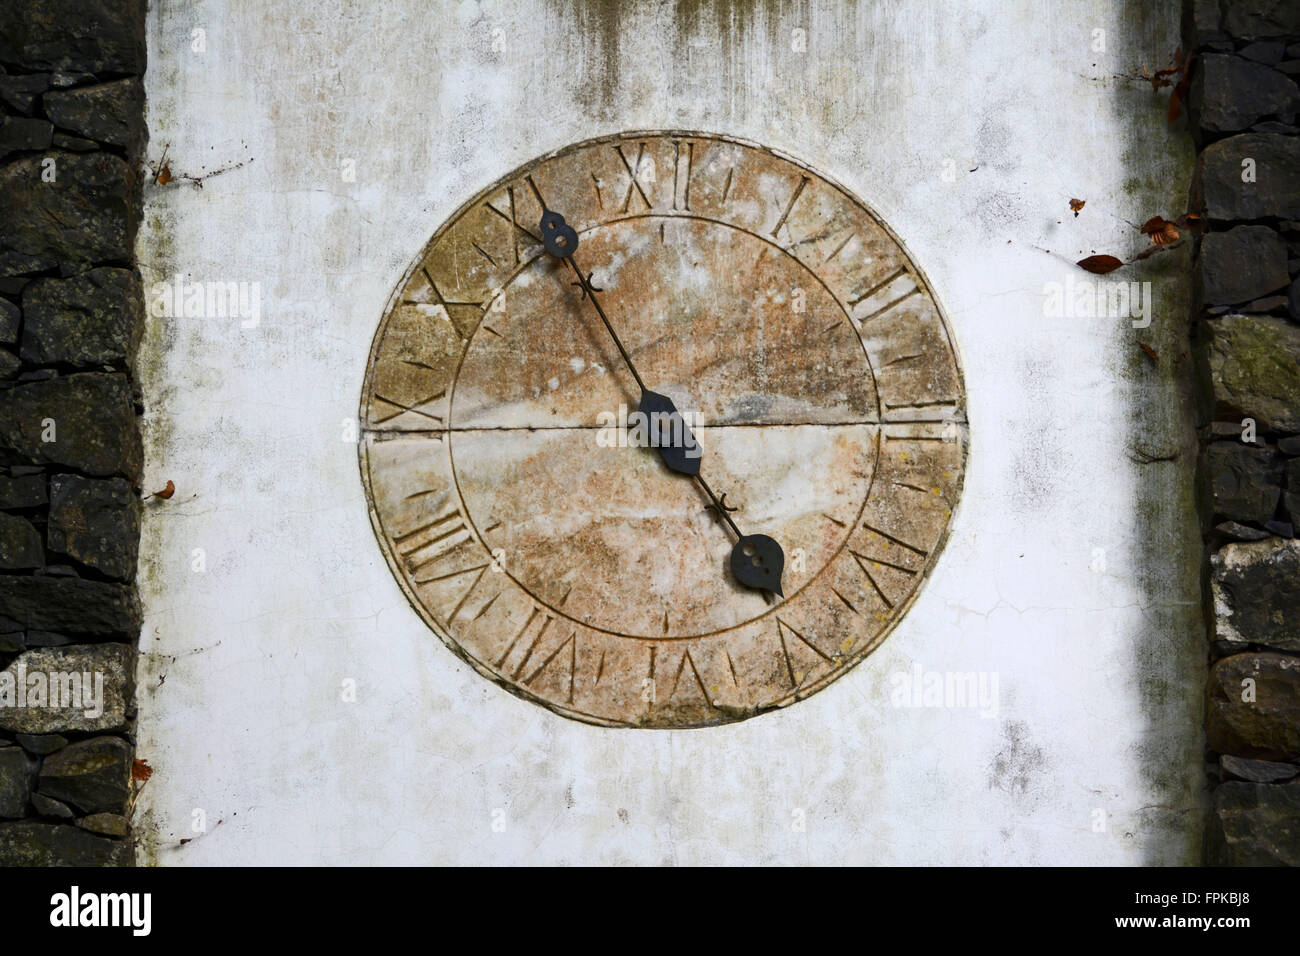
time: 4:55
